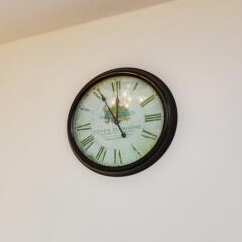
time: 11:55
